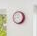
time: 4:42
